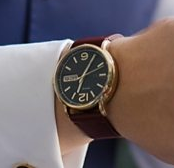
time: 9:05
